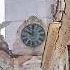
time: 10:00
